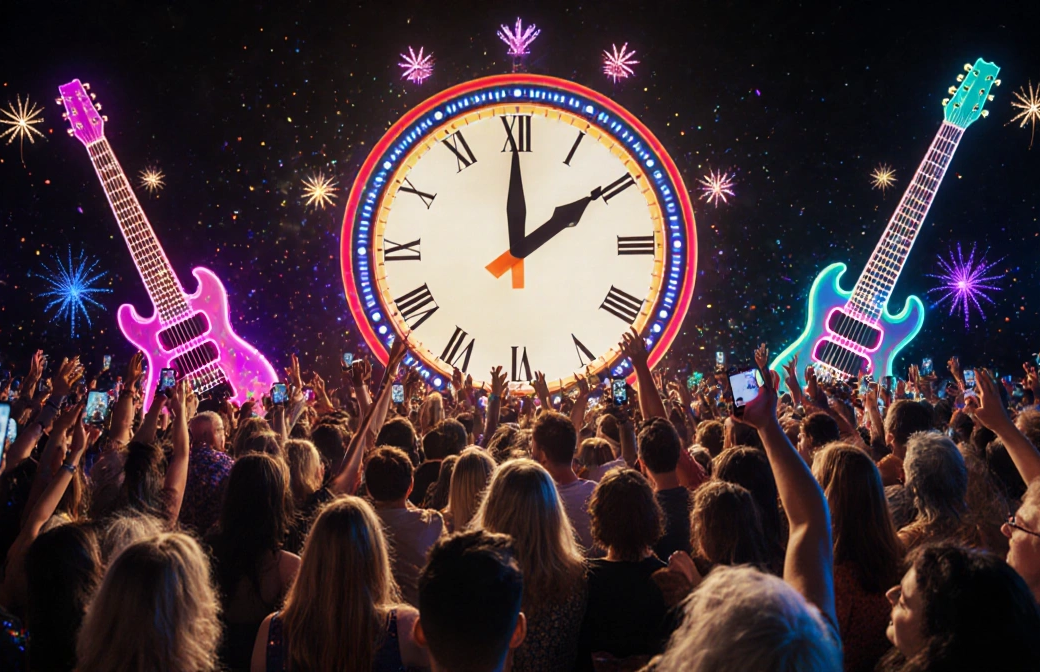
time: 1:59
